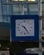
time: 10:24
